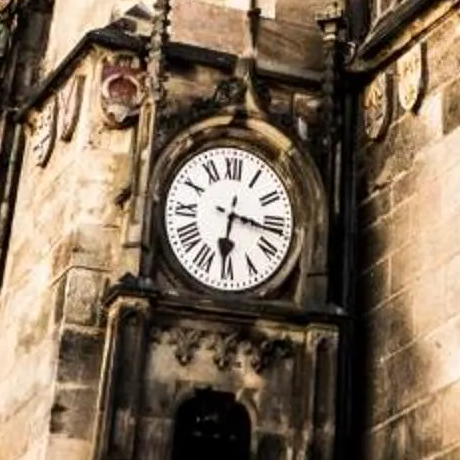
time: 6:16
